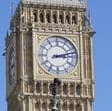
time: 3:12
